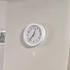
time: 12:36
